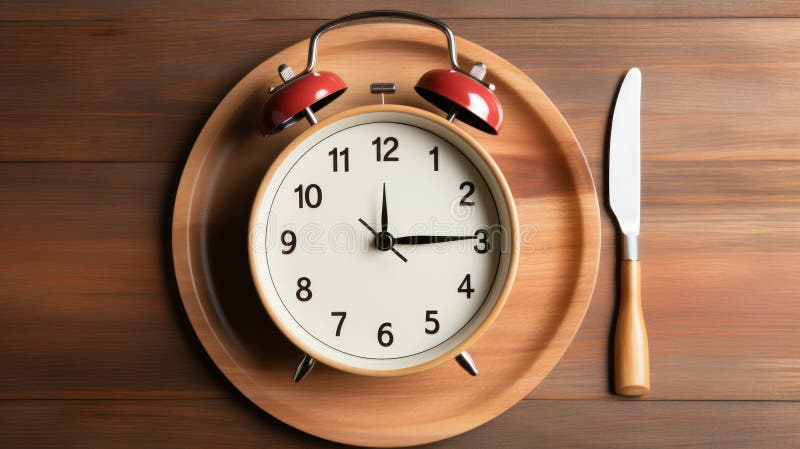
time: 12:14
